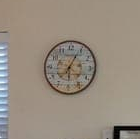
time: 6:04
